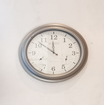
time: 11:52
